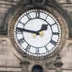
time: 1:46
